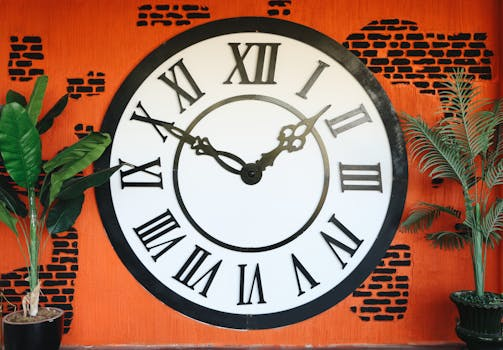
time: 1:50
